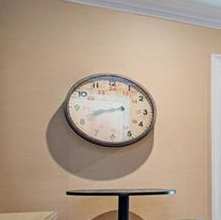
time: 8:41
